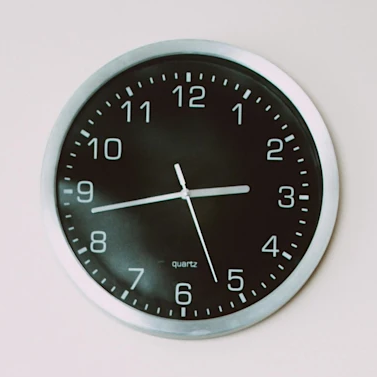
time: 2:43
